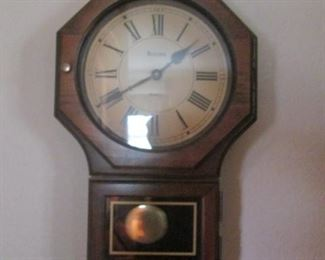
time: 1:40
